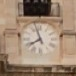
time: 7:57
